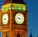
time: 9:45
